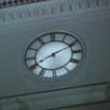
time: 8:11
